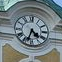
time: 4:33
